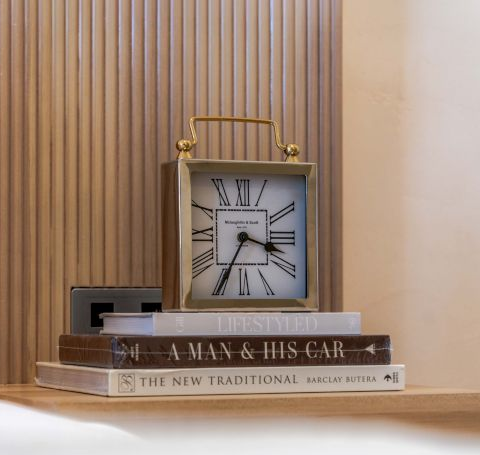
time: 3:34
